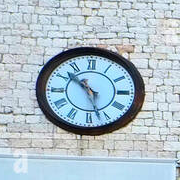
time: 10:51
